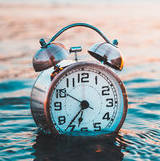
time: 6:36
